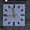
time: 11:43
